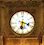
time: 6:18
